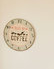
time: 1:46
